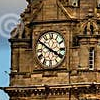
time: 3:50
